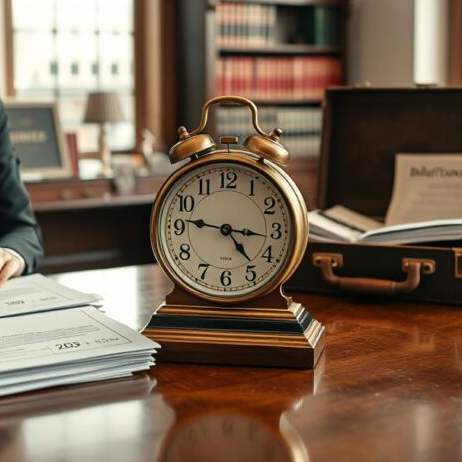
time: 4:46
